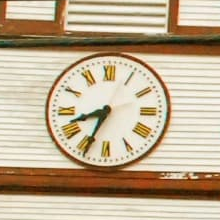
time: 8:34
